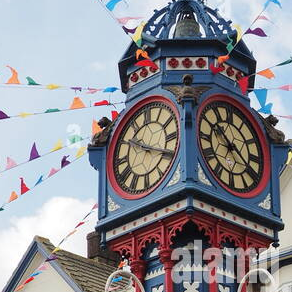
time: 10:19
